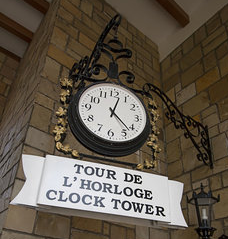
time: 12:22
